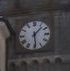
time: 1:28
